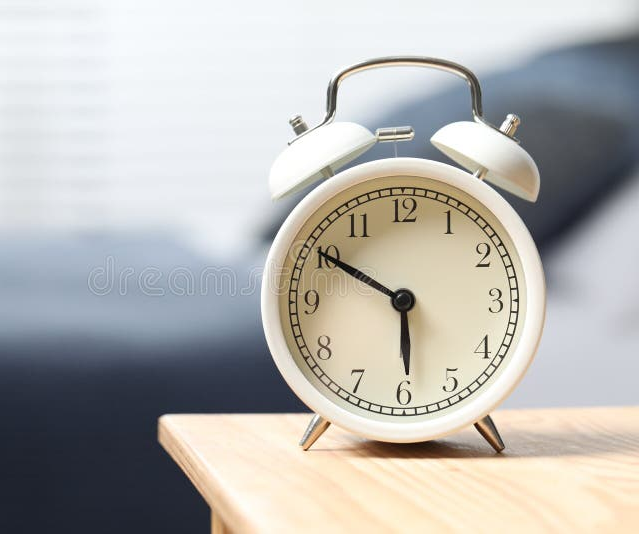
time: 5:50
